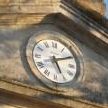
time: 5:10
